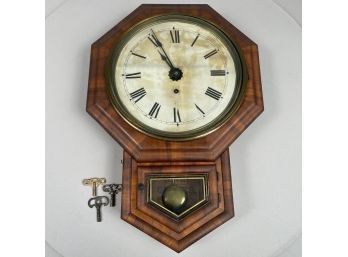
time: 10:55
